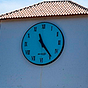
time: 11:24
